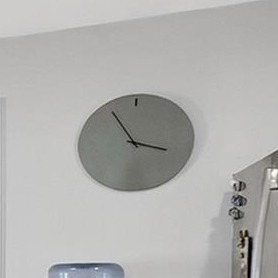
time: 3:55
